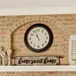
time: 10:56
